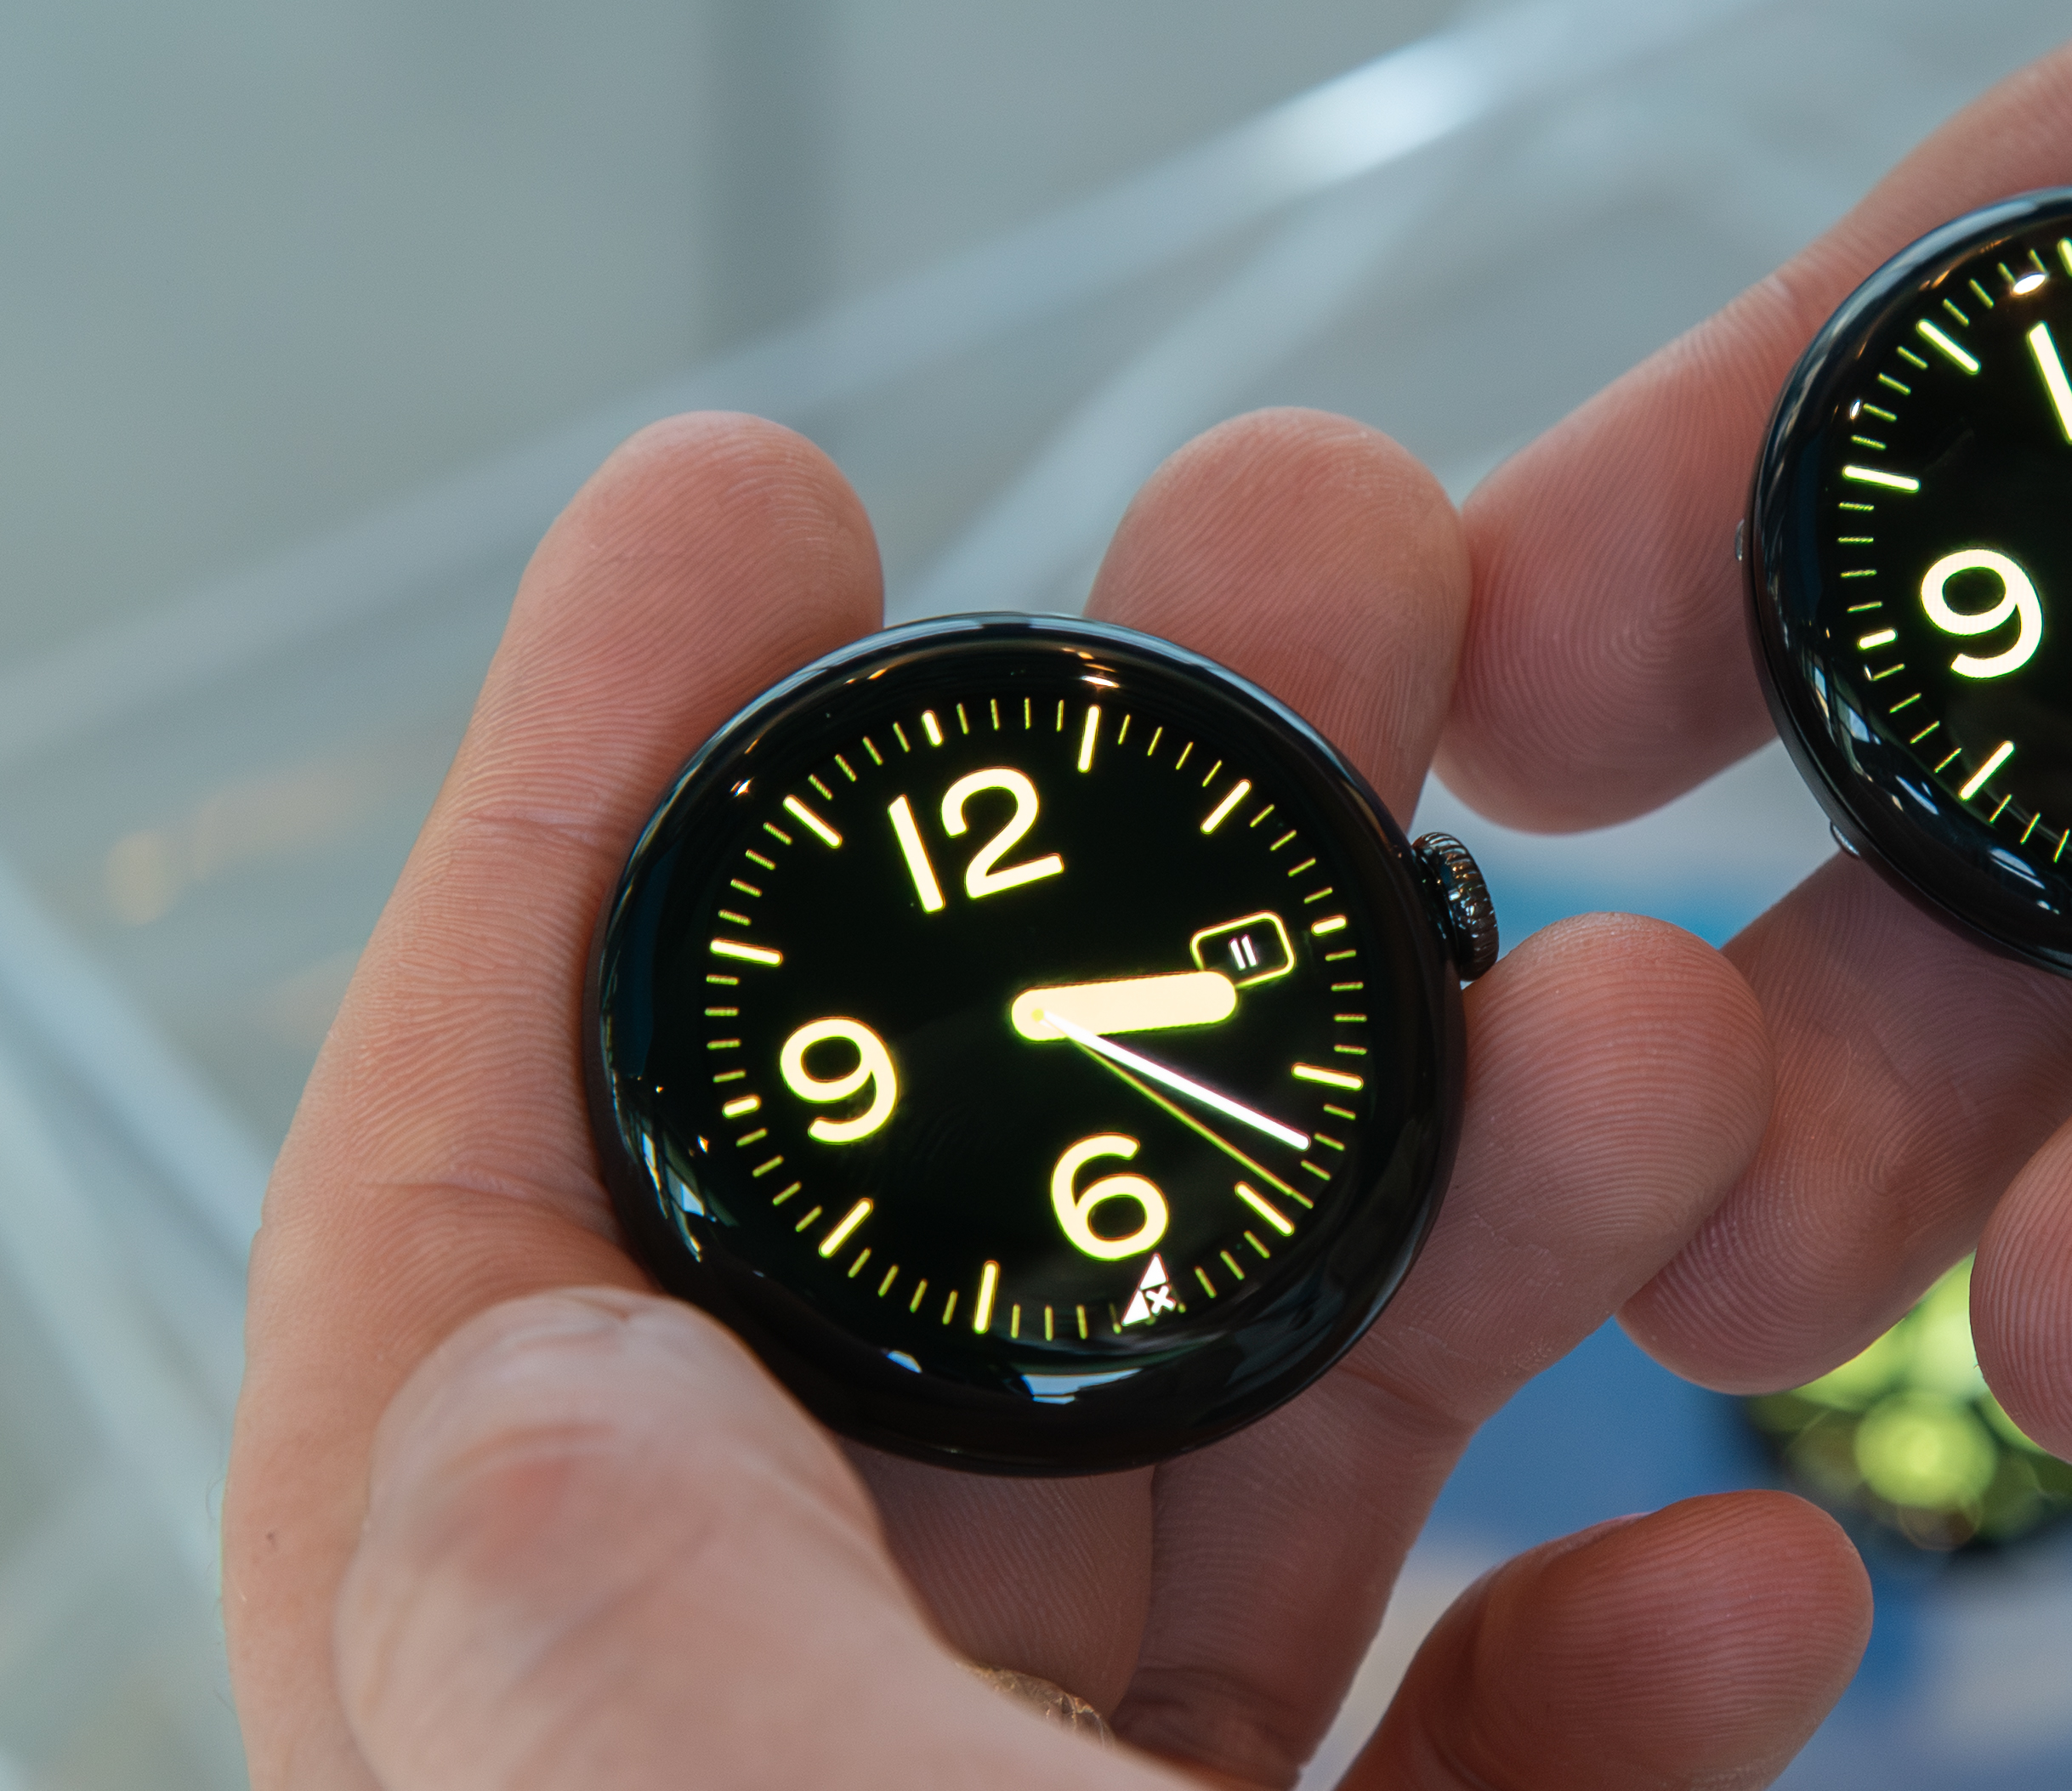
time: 3:22
